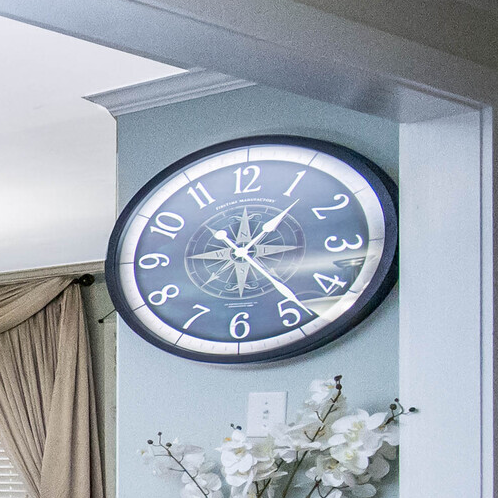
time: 1:23
